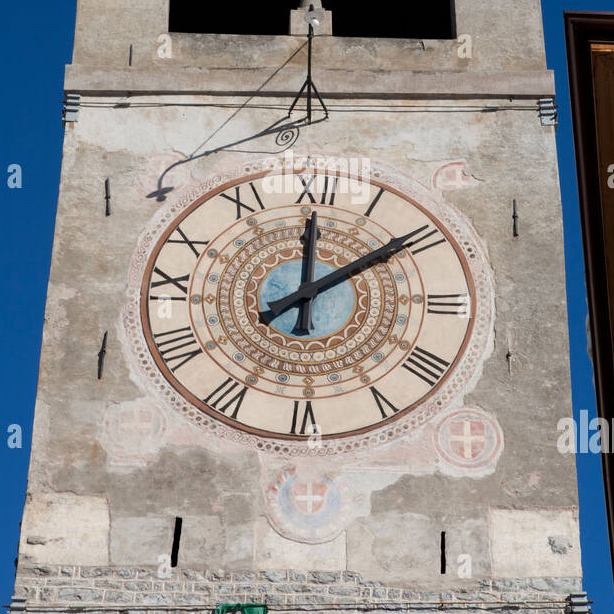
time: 12:09
